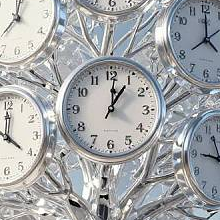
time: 1:01
